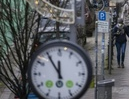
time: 11:54
